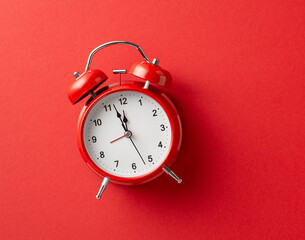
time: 11:57
